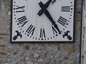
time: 1:23
